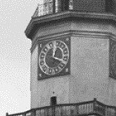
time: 12:19
